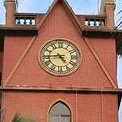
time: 4:44
